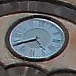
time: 4:40
